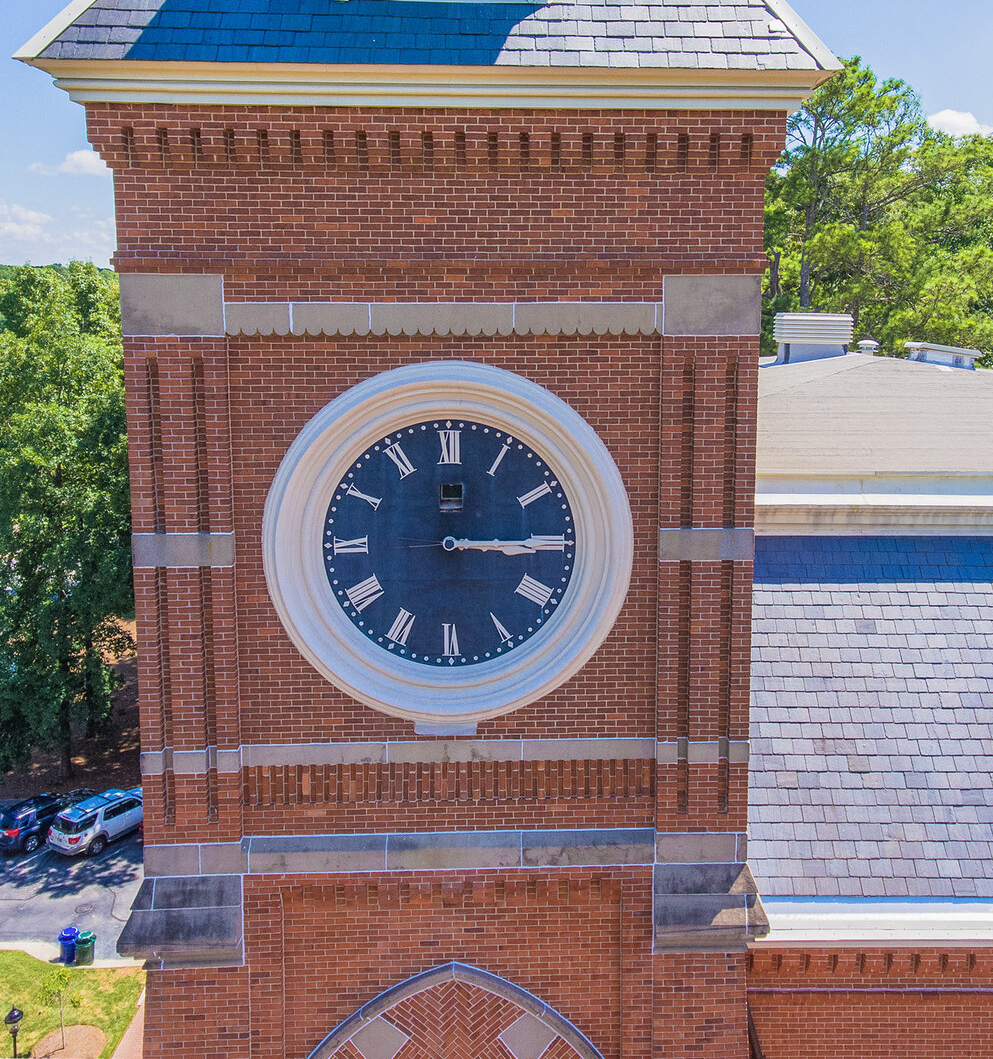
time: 3:15
